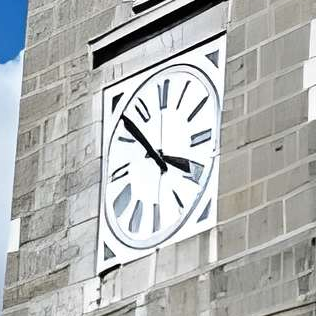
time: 3:52
